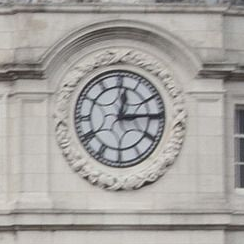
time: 12:14
